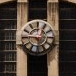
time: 12:45
